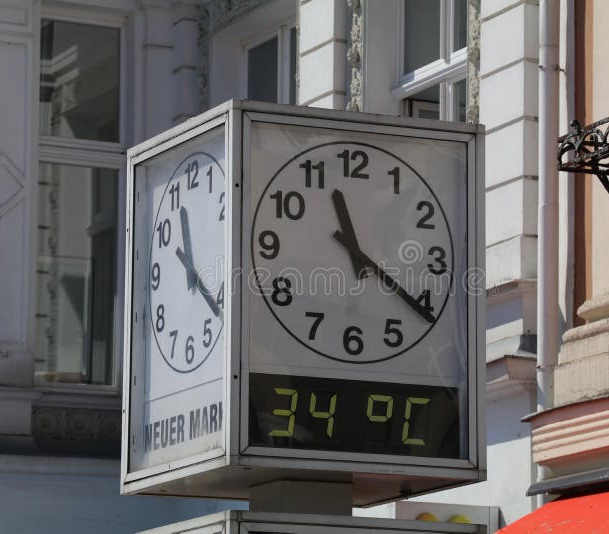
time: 11:20
